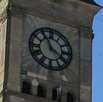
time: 3:55
